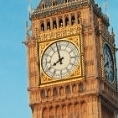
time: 7:58
